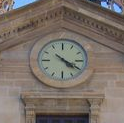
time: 4:20
